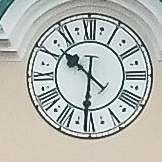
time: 10:30
